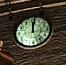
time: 12:01
